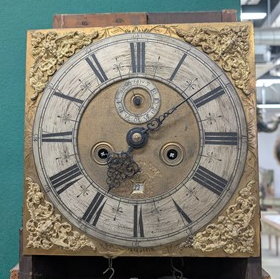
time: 7:09
